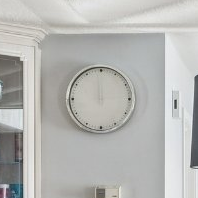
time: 11:59
